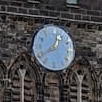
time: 12:39
